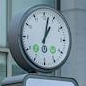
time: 1:02
